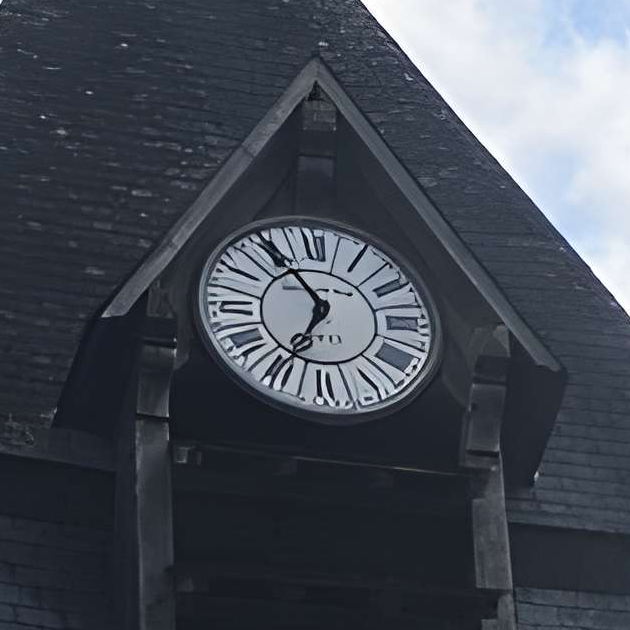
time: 6:54
